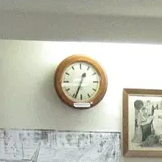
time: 12:33
